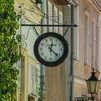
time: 12:22
